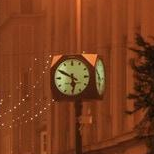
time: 5:49
